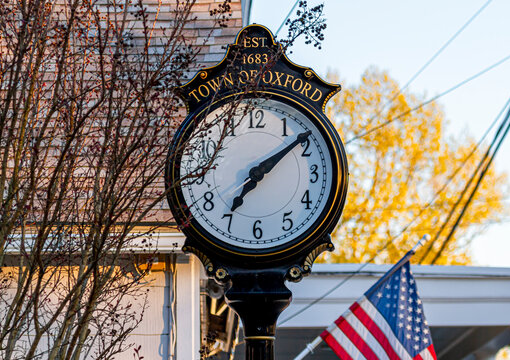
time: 7:09
